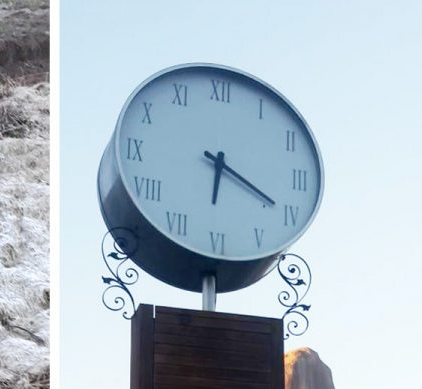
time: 6:19
